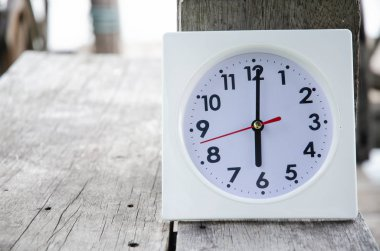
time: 6:00
